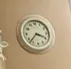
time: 3:37
